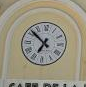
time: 6:51
